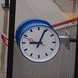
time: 9:03
